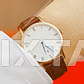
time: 5:21
